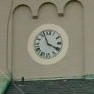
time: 3:56
